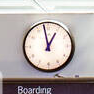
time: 12:58
